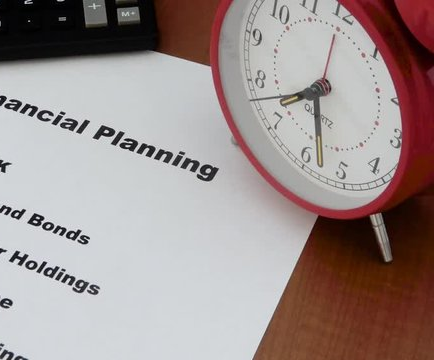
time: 8:32
